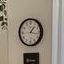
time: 1:16
